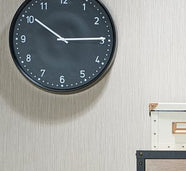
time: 10:14
